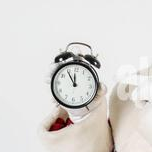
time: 11:54
